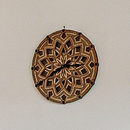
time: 2:40
